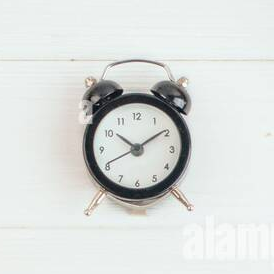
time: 10:09
